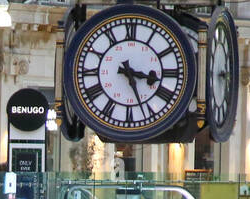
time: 3:26
